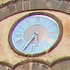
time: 5:34
